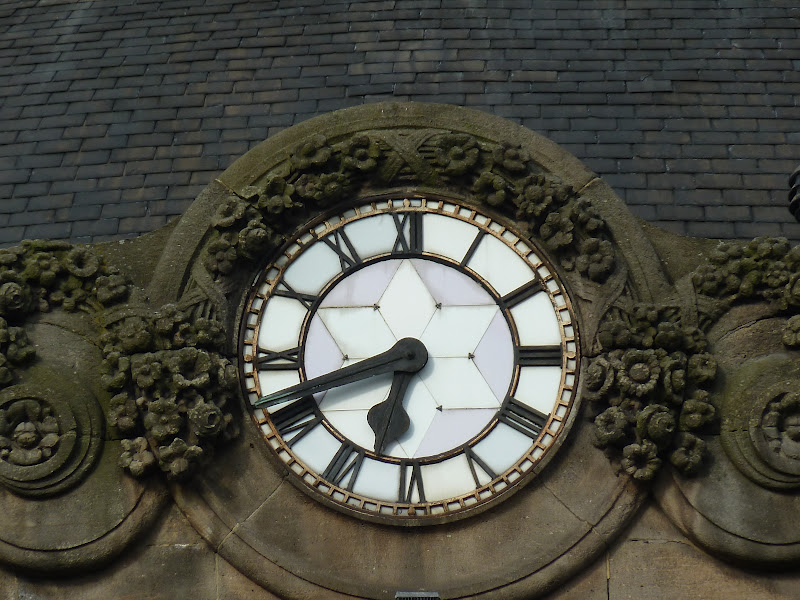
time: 6:41
